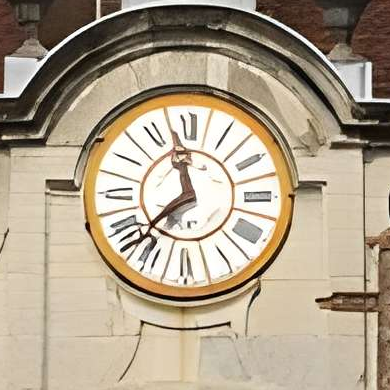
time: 11:37
